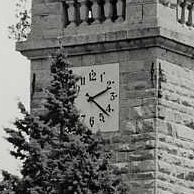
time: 2:22
